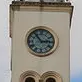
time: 2:53
